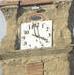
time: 3:58
